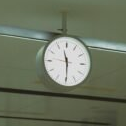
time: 11:29
